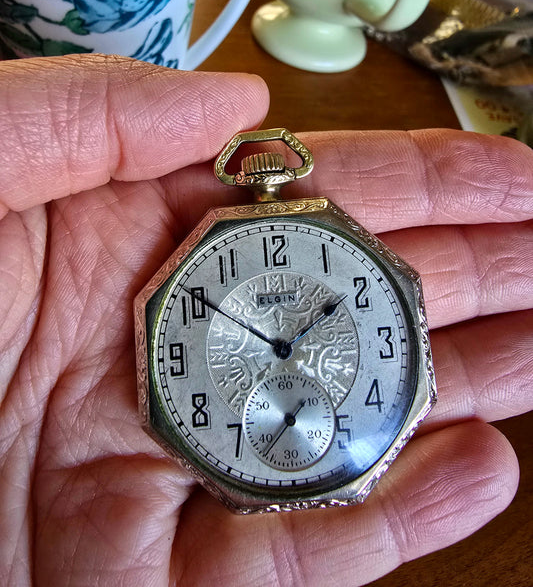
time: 1:50
